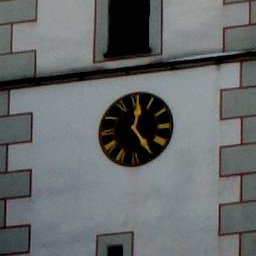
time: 12:24
